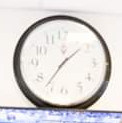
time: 1:36
